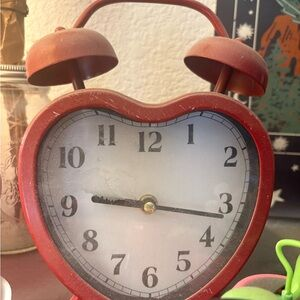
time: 9:16
